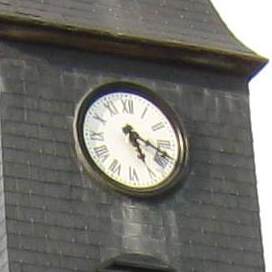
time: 5:18
